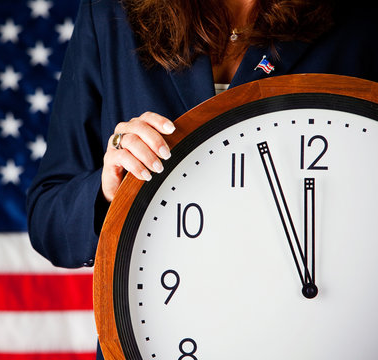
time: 11:56
